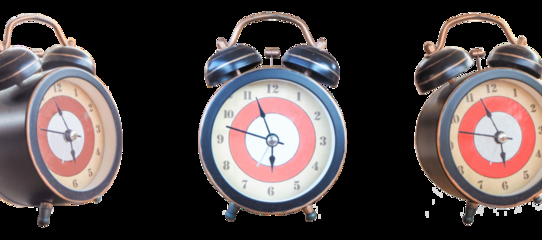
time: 5:47
